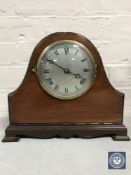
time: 3:50
